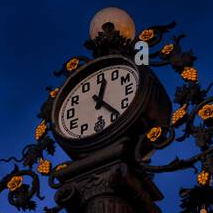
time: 12:23
